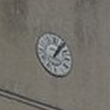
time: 1:06
